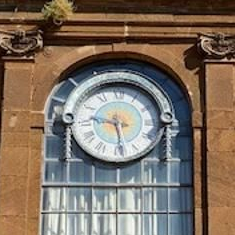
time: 9:28
